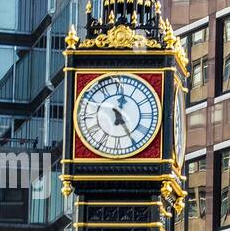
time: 12:24
